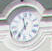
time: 11:35
